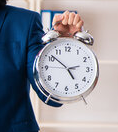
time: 4:51
